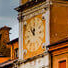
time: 11:52
